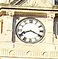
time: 8:19
